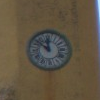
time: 11:52
